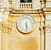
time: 5:29
